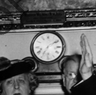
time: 7:09
